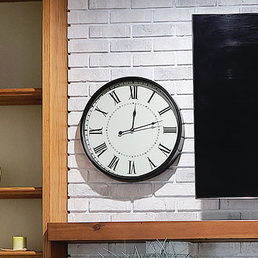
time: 12:12
